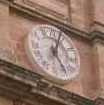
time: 5:03
